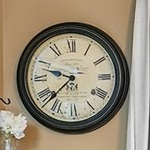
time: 9:37
